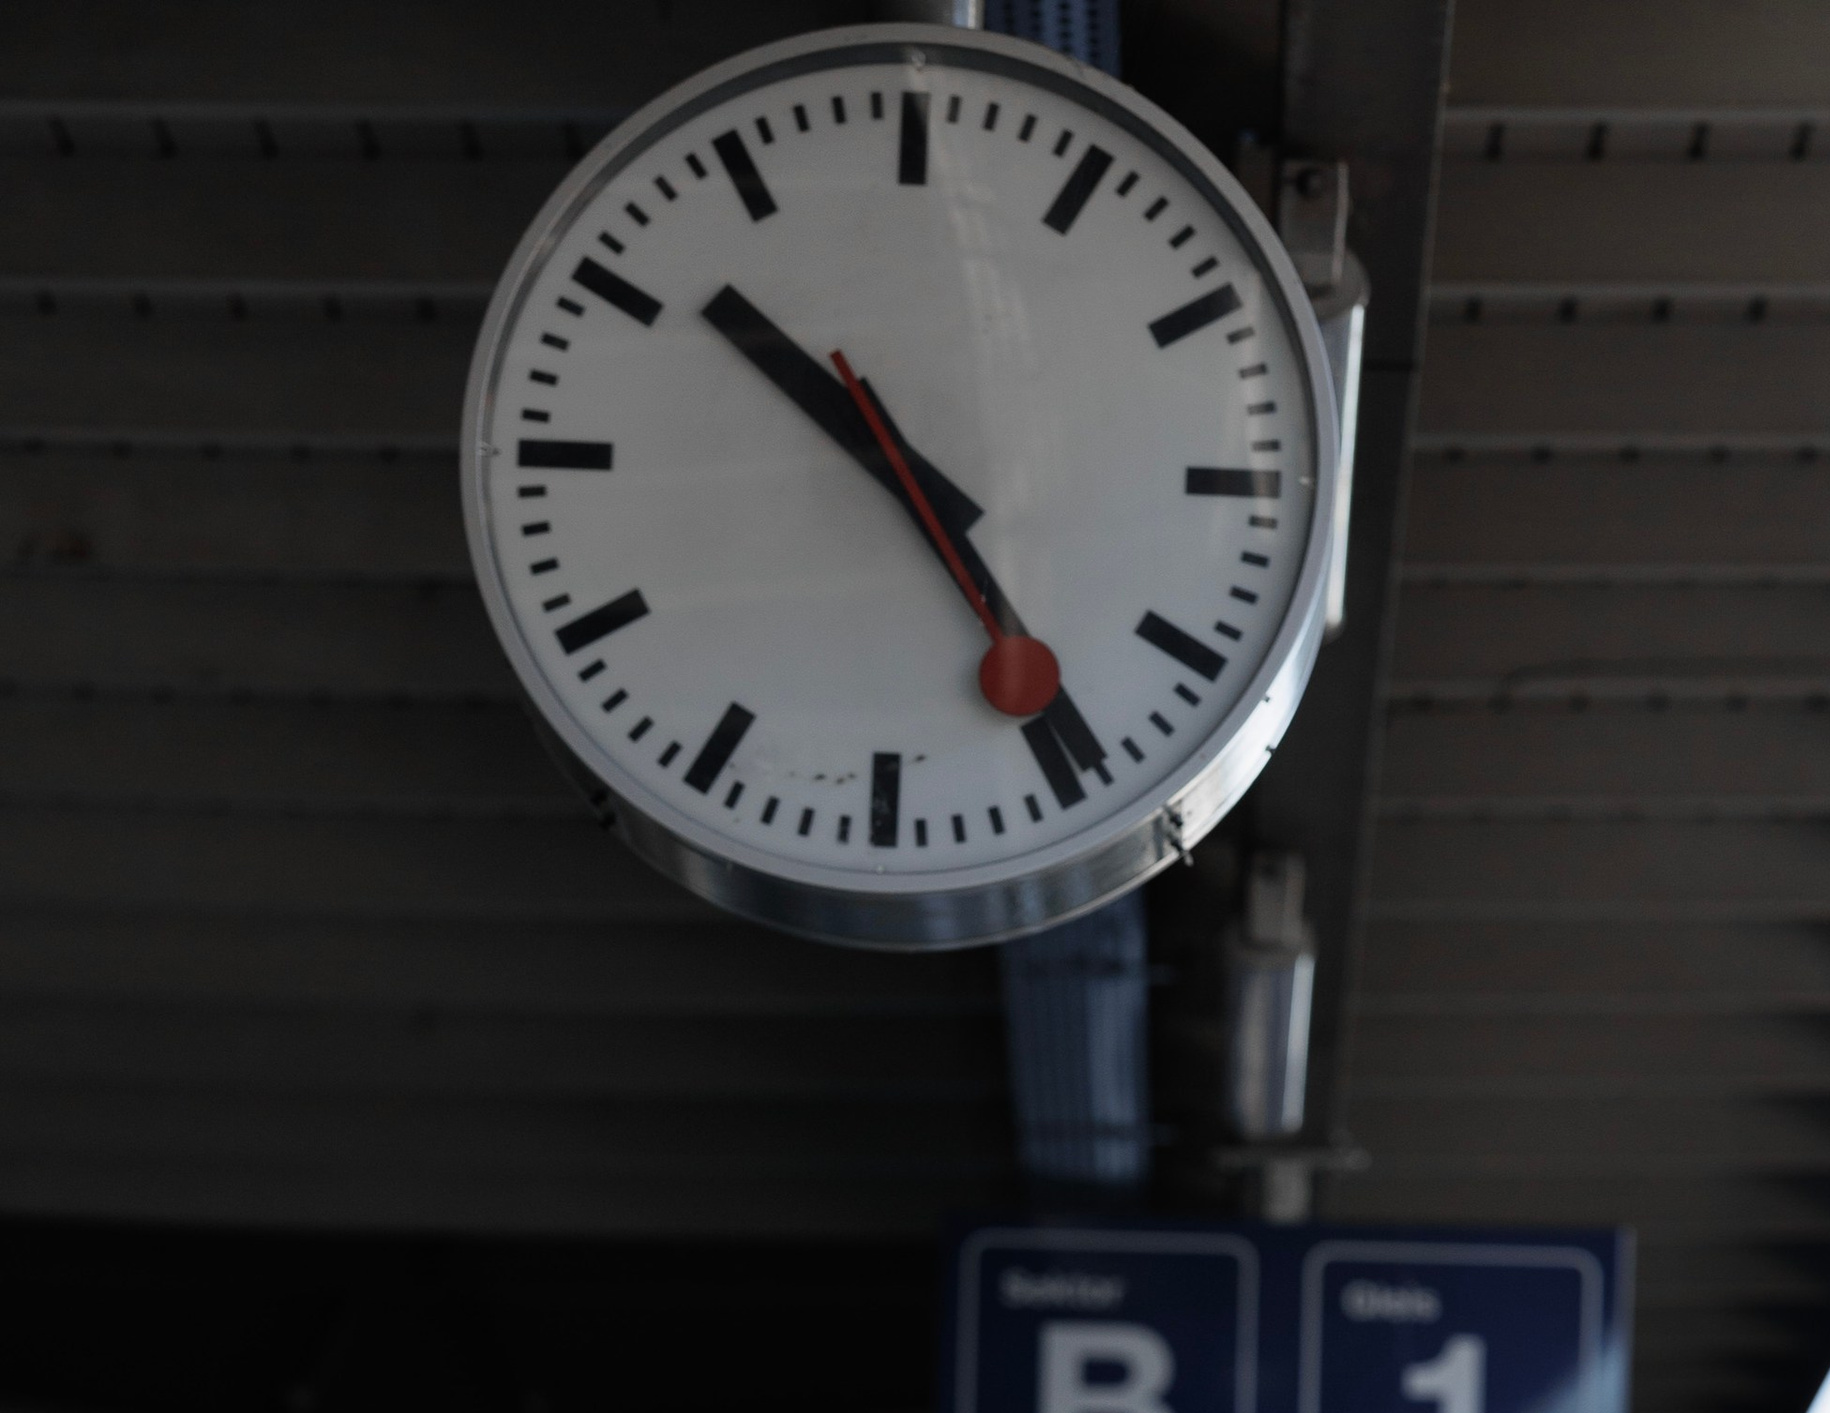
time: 10:24
